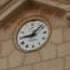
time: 9:07
